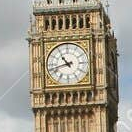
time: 10:42
